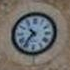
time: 10:36
